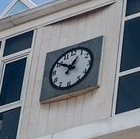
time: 12:50
